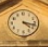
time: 4:17
